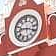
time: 9:18
